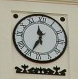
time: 11:33
